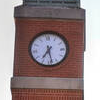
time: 7:28
